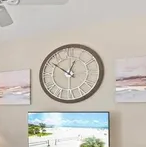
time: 12:51
